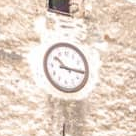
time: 10:15
